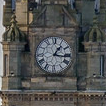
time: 1:16
